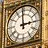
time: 2:59
